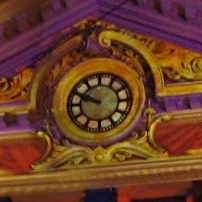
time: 9:48
